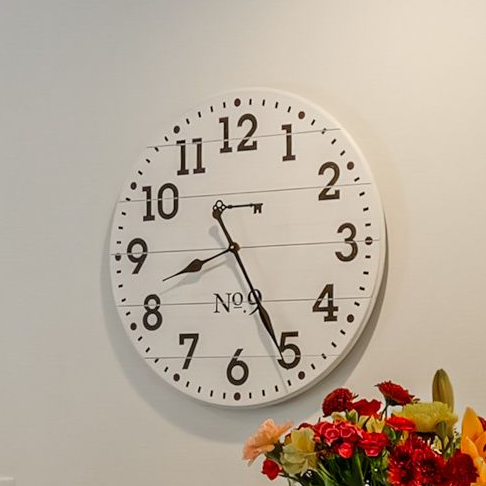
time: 8:25
